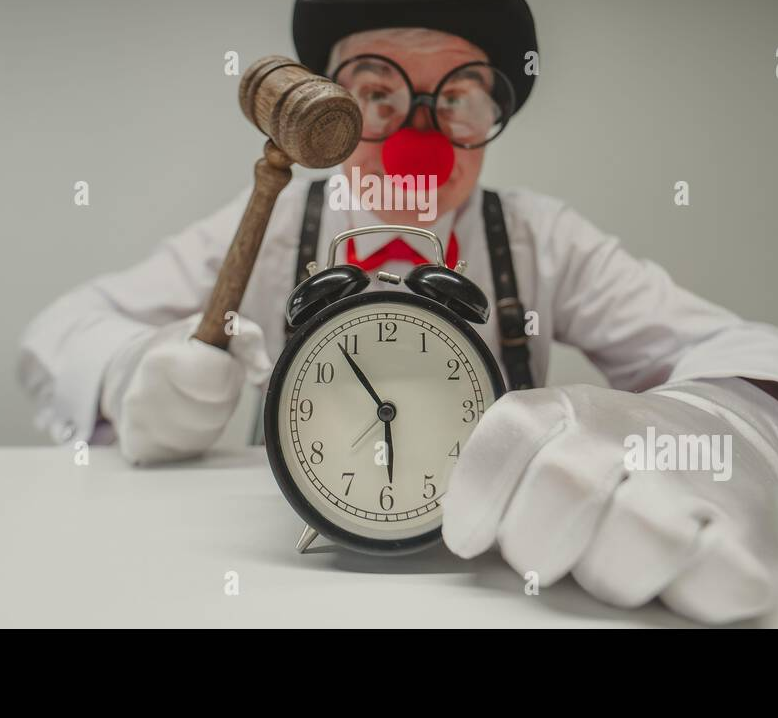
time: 5:54
